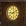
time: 9:10
